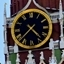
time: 4:37
